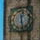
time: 12:28
